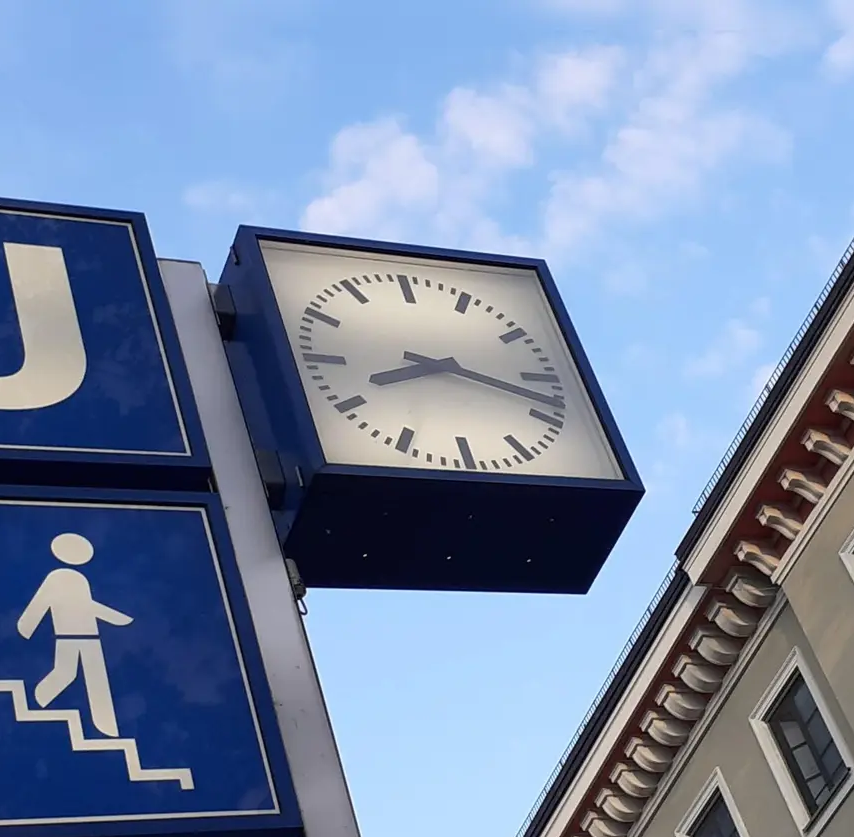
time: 8:18
